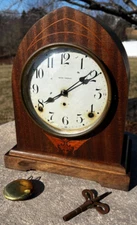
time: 8:09
